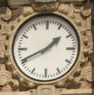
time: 1:40
